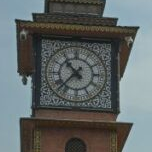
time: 10:37
